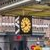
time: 10:39
